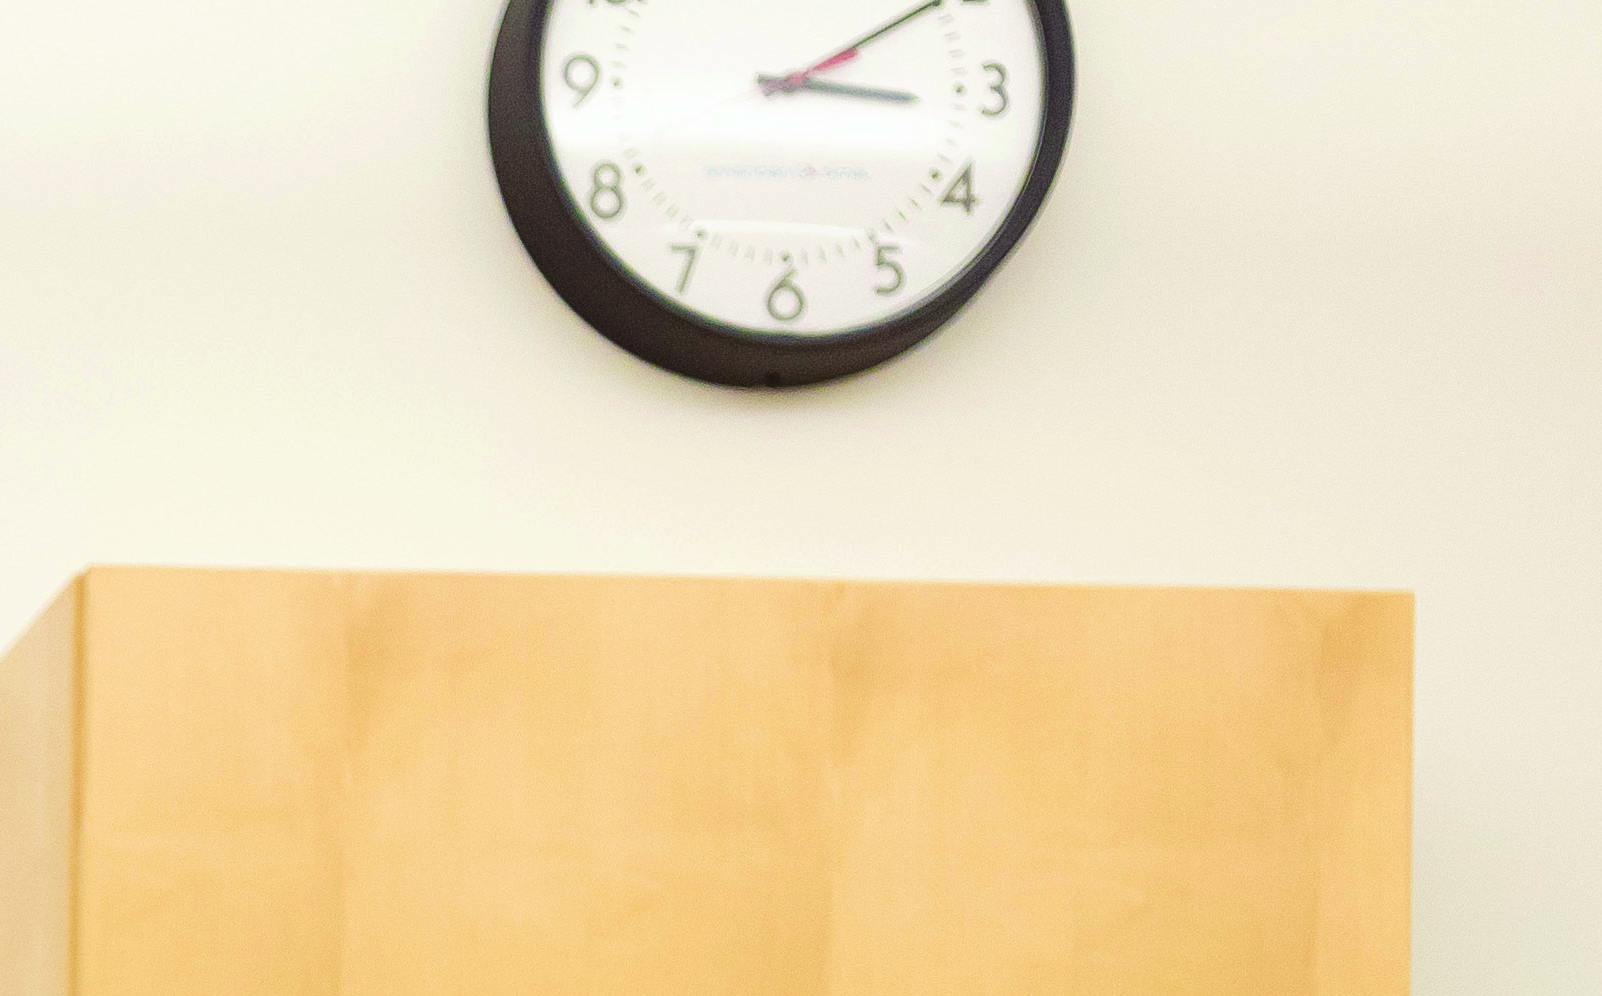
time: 3:09
